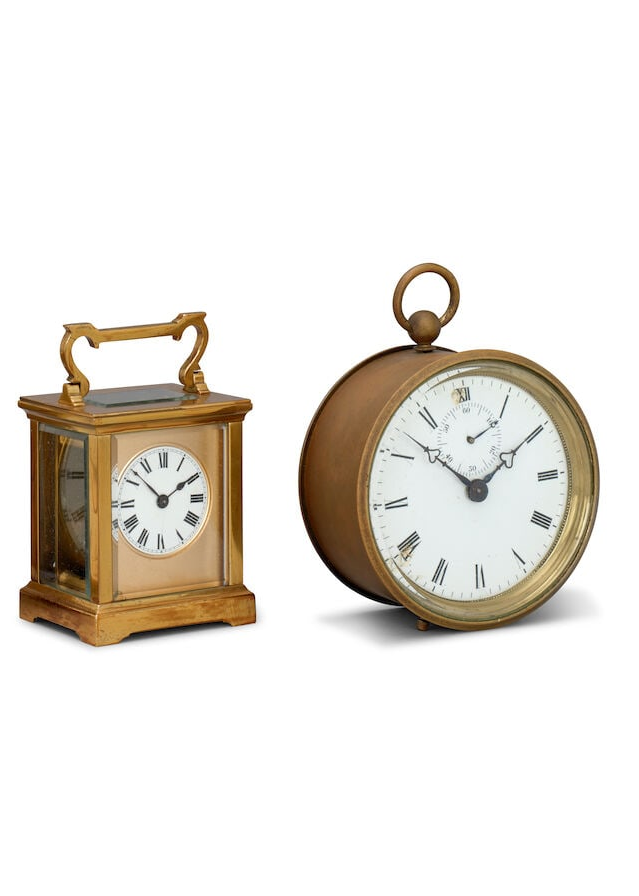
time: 1:52
